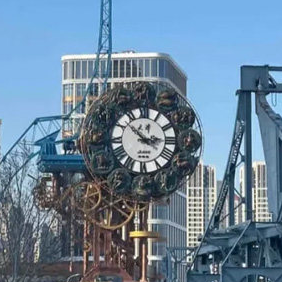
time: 2:52
